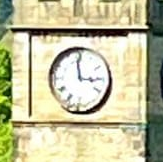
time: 2:58
